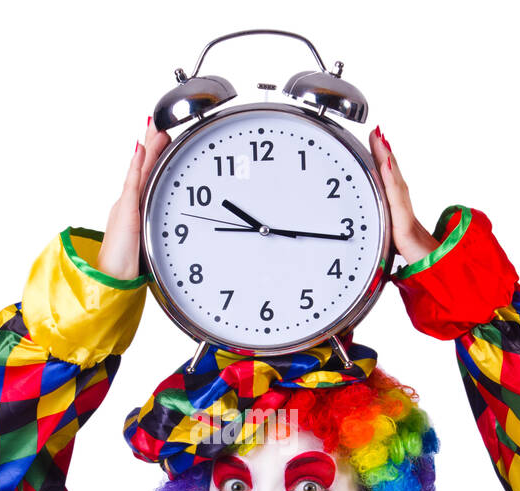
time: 10:16
